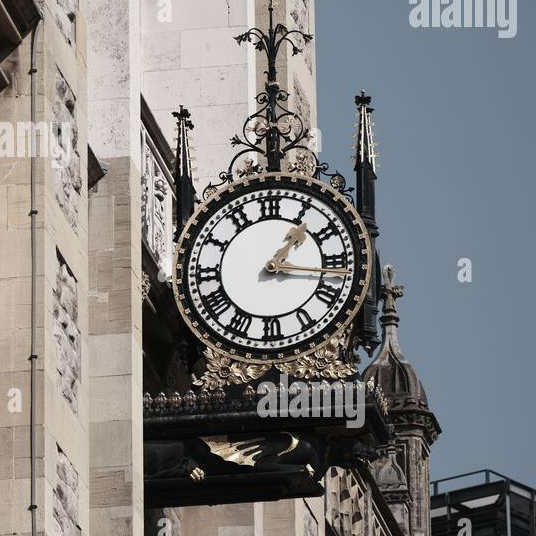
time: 1:16
